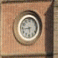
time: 5:43
